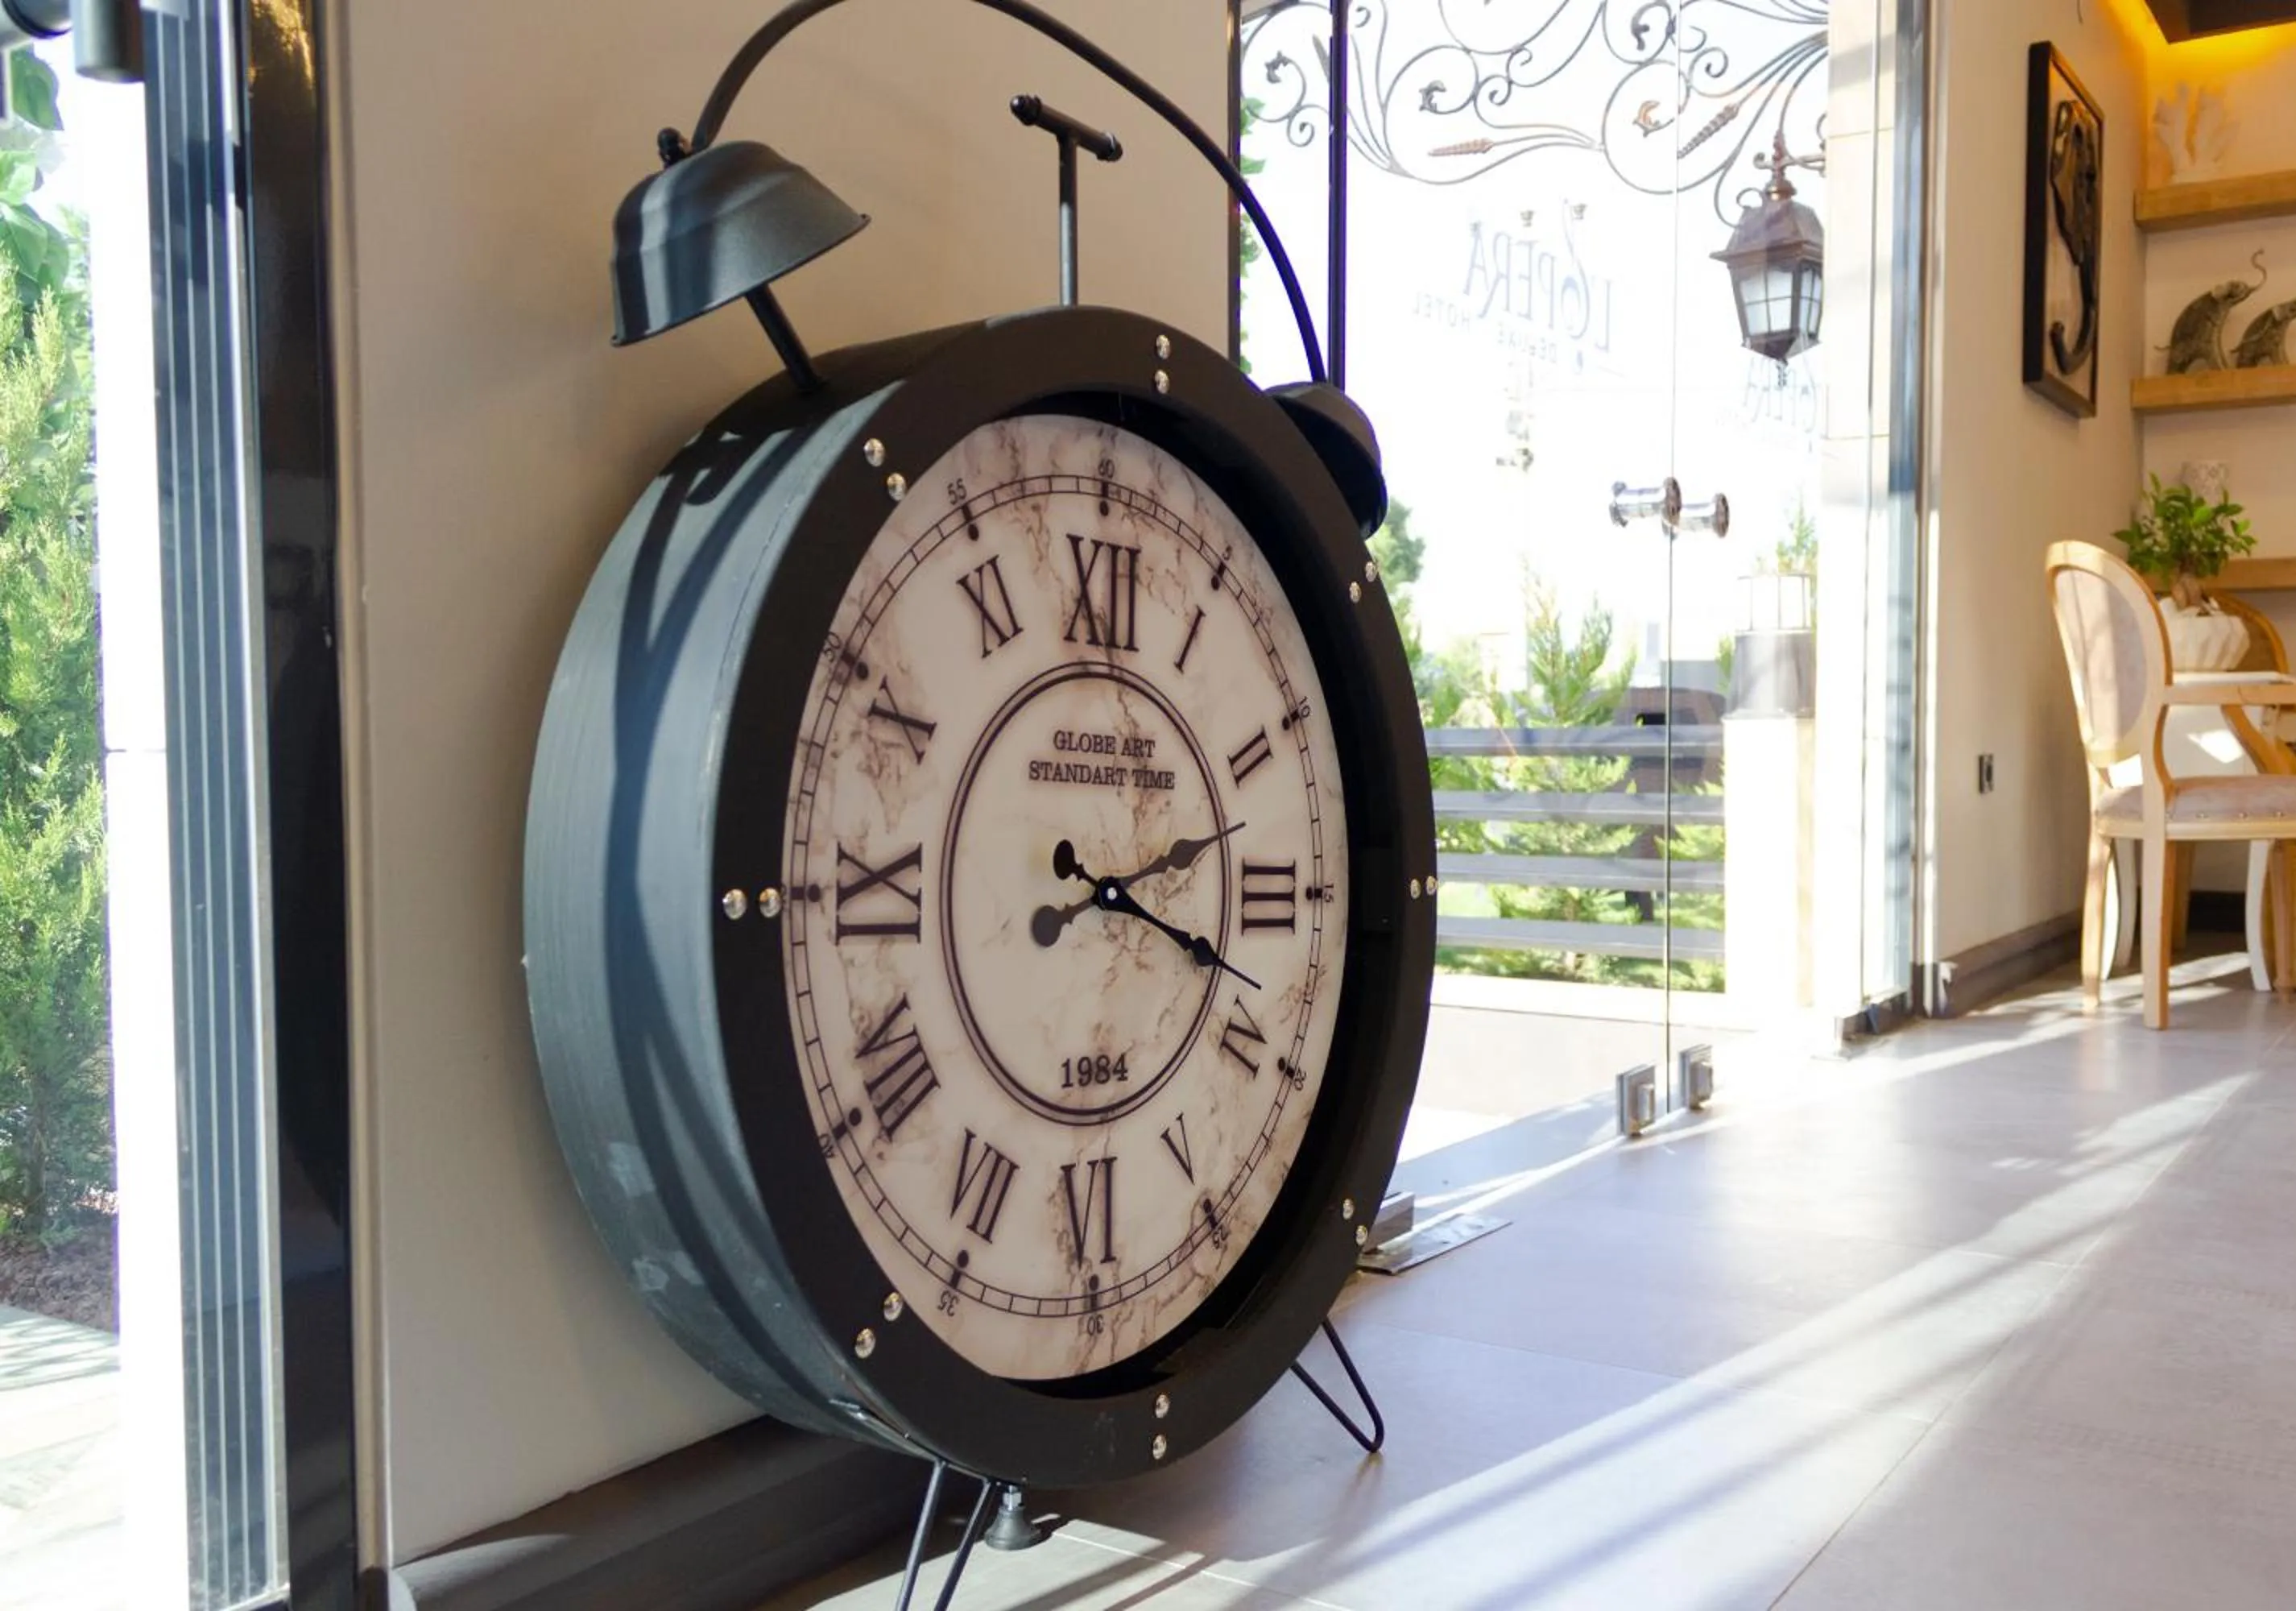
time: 2:18
